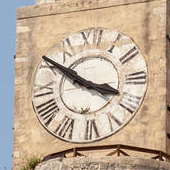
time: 3:50
